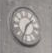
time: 1:33
